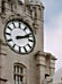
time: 2:11
